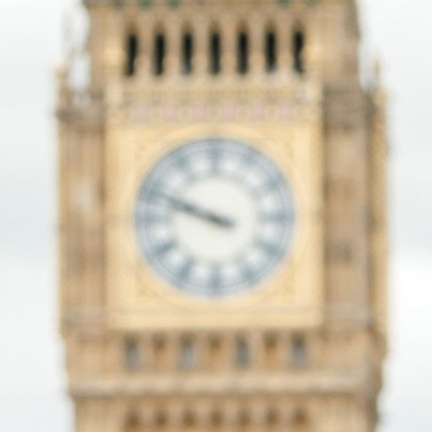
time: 9:48
